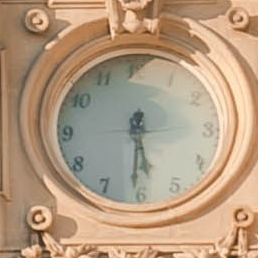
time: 5:30
